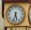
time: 5:33
